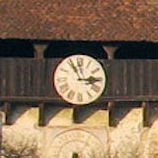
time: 2:56
